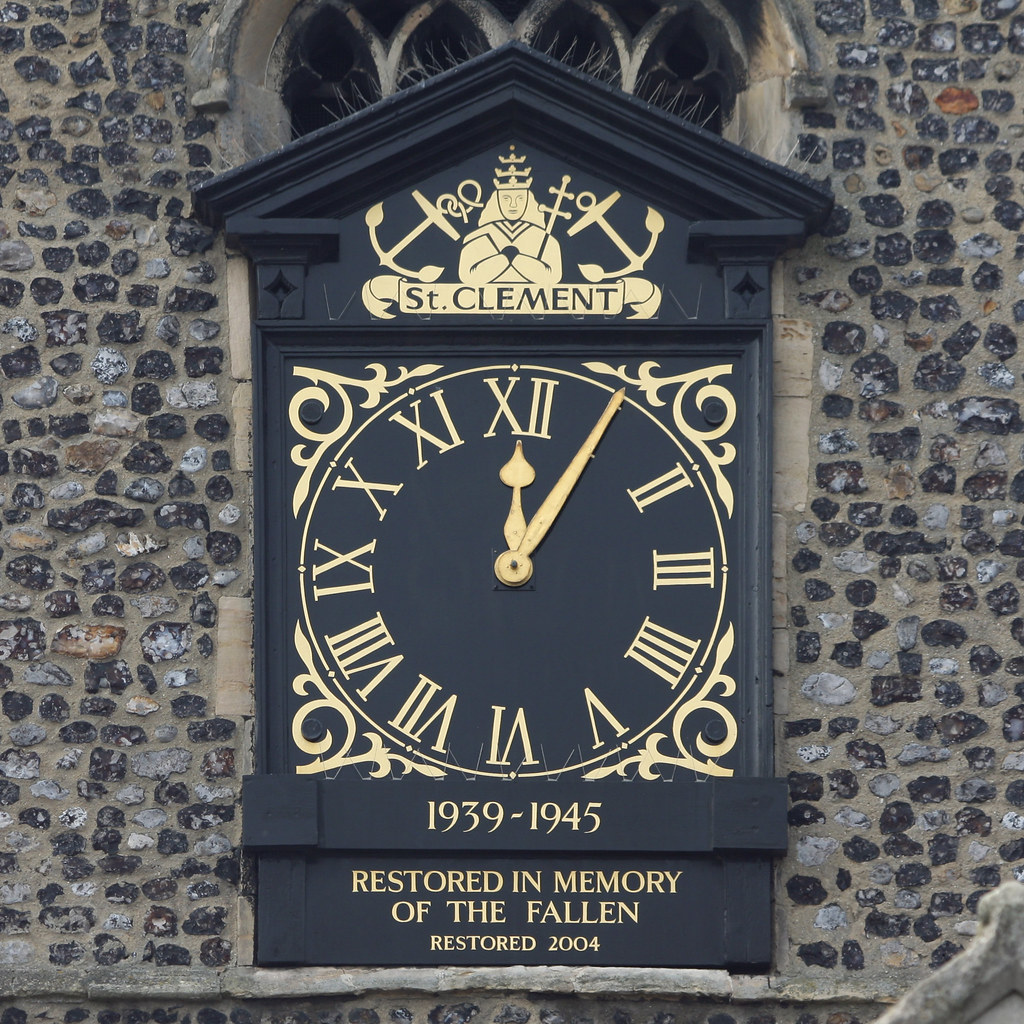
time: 12:05
